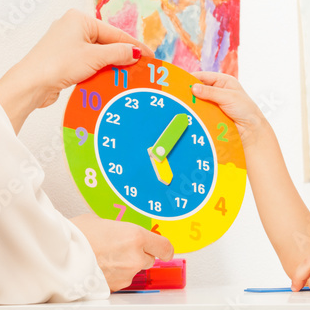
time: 5:05
